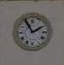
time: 1:55
